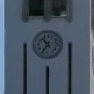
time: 10:36
